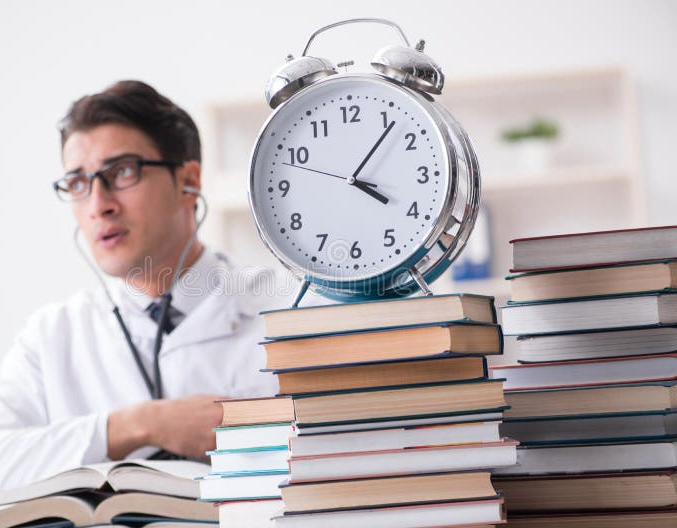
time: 4:06
